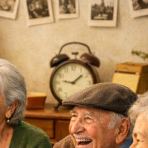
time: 1:46
